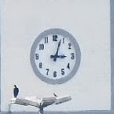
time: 3:03
